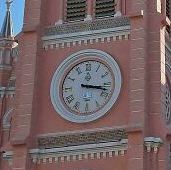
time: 3:17
